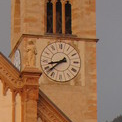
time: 8:38
